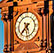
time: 5:37
